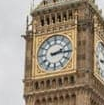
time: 2:14
